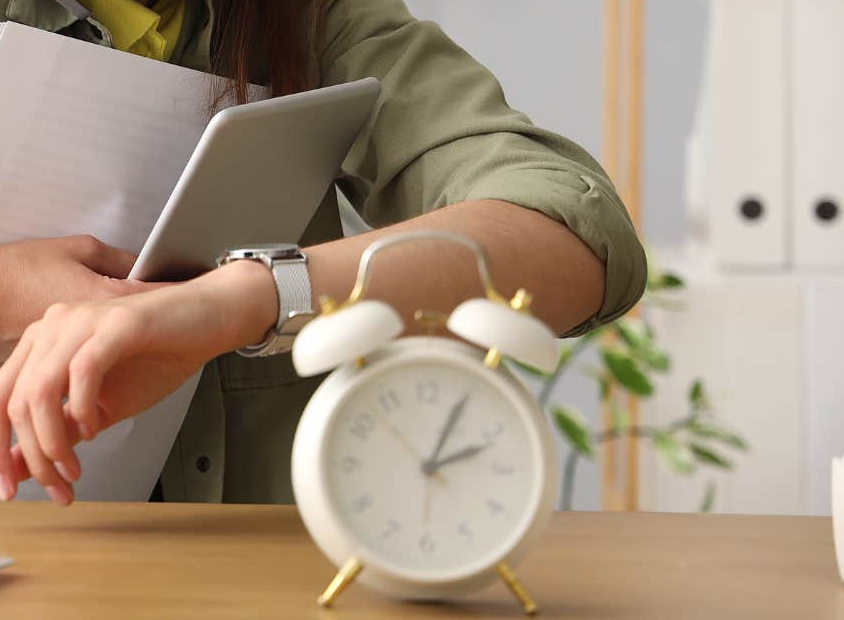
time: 2:04
